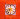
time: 7:00
